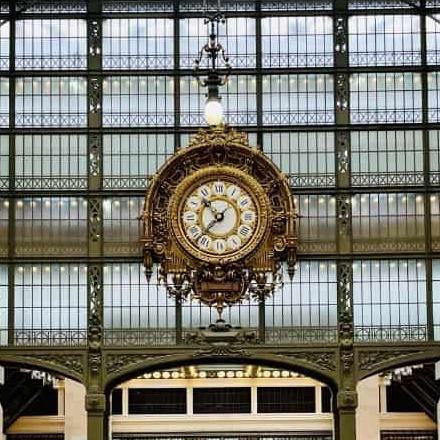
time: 10:37
